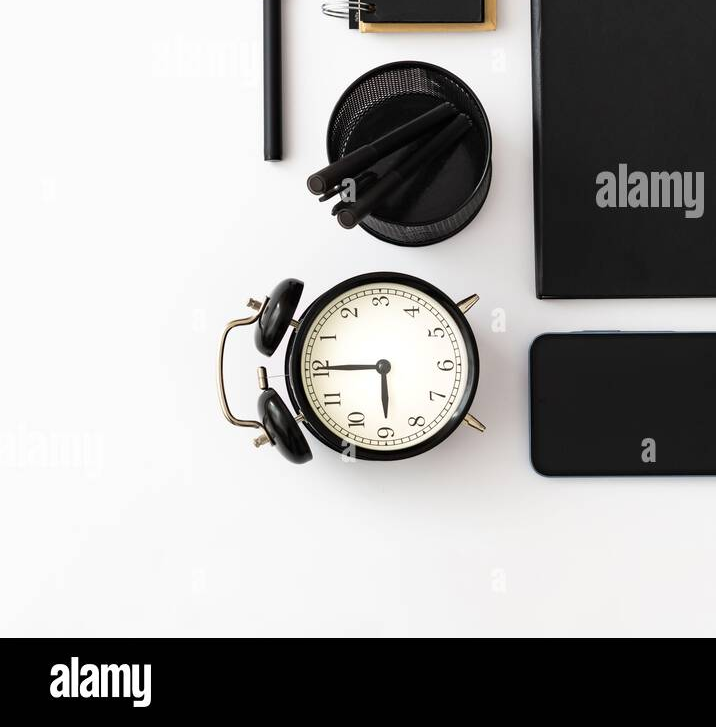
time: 5:45
